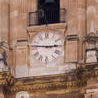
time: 2:46
